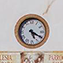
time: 5:20
